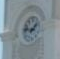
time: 1:46
